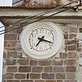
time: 7:18
